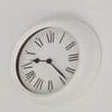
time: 9:23
